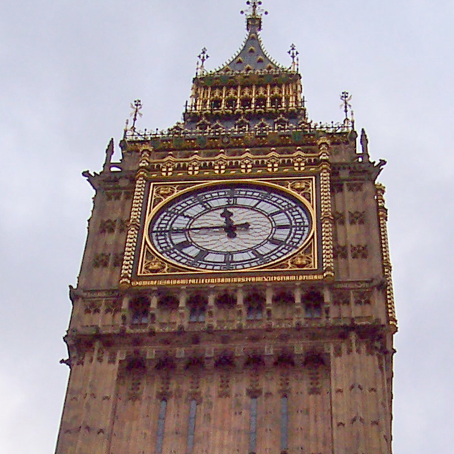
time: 11:44
